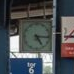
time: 5:15
